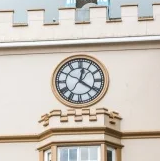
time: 12:20
